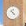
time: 4:22
